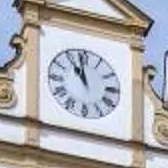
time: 10:58
